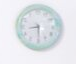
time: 8:29
